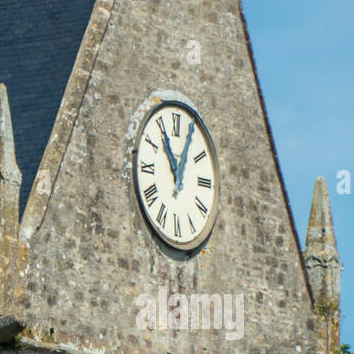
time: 11:04
